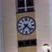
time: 7:22
